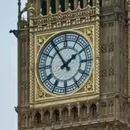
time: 1:54
